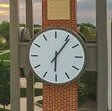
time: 6:06
